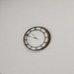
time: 10:48
